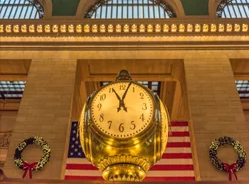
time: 11:03
